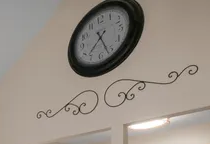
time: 7:26
